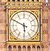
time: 5:49
